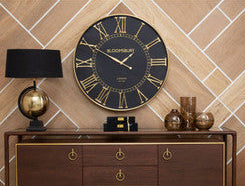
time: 1:50
